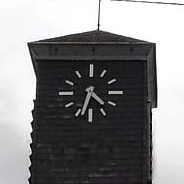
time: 4:33
